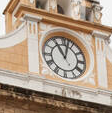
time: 11:02
